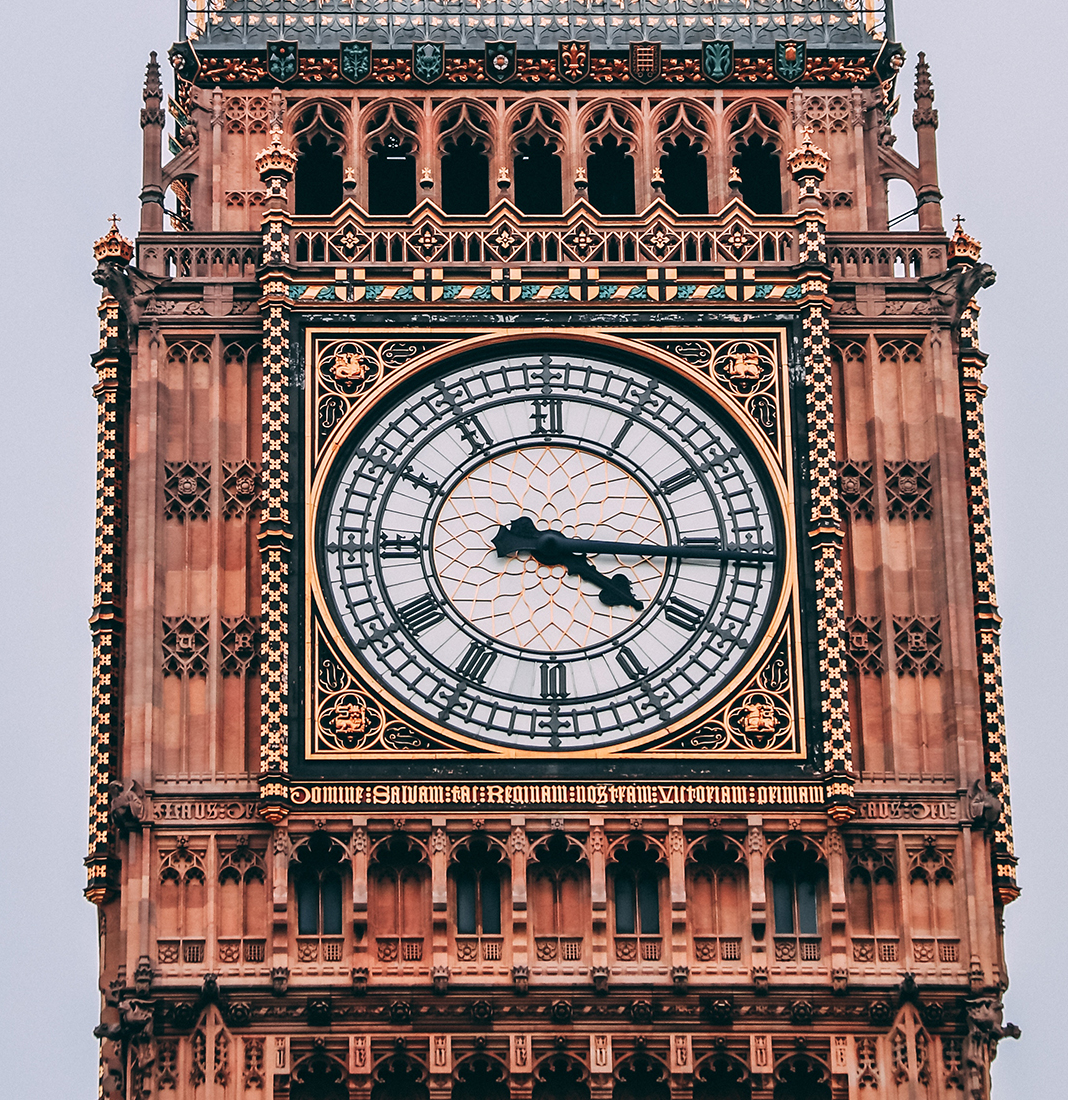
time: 4:15
